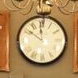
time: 11:50
